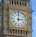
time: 3:00
